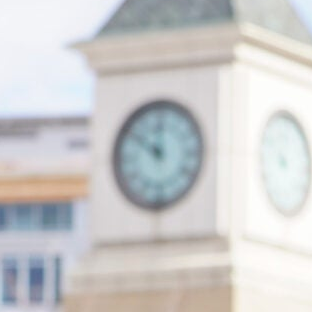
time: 11:51
